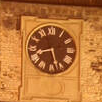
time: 8:27
